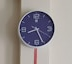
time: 8:25
